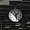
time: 1:28
